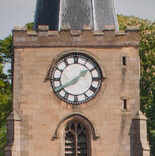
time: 1:39
